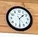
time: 1:30
